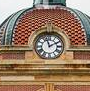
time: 1:57
